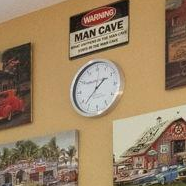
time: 1:37
